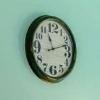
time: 11:12
